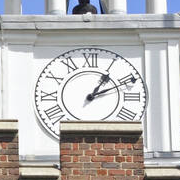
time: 1:10
